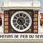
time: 7:24
